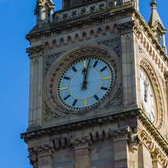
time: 12:02
